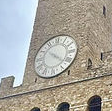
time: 4:21
